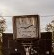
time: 9:10
